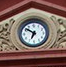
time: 6:51
